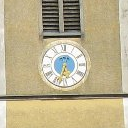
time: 5:32
